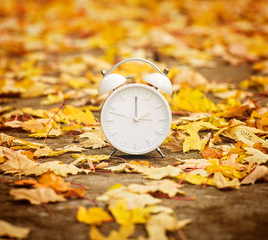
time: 2:00
